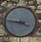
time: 3:46
